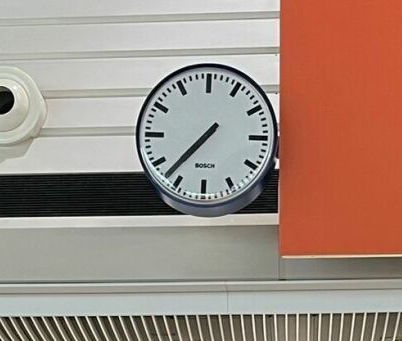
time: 7:37
